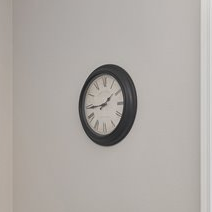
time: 1:43
